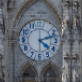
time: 4:12
